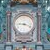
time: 9:18
